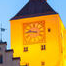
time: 9:45
